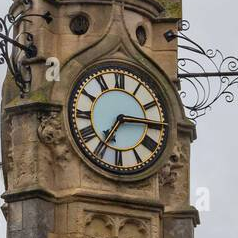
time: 7:15
